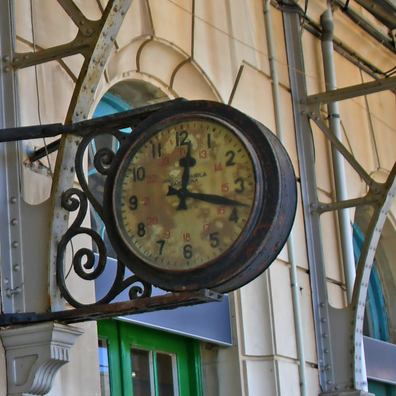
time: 12:18
